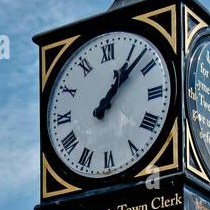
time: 1:07
